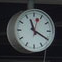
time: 11:19
